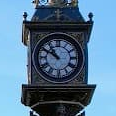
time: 10:50
